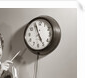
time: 4:56
